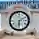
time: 6:10
